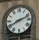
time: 8:11
